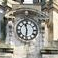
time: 11:31
